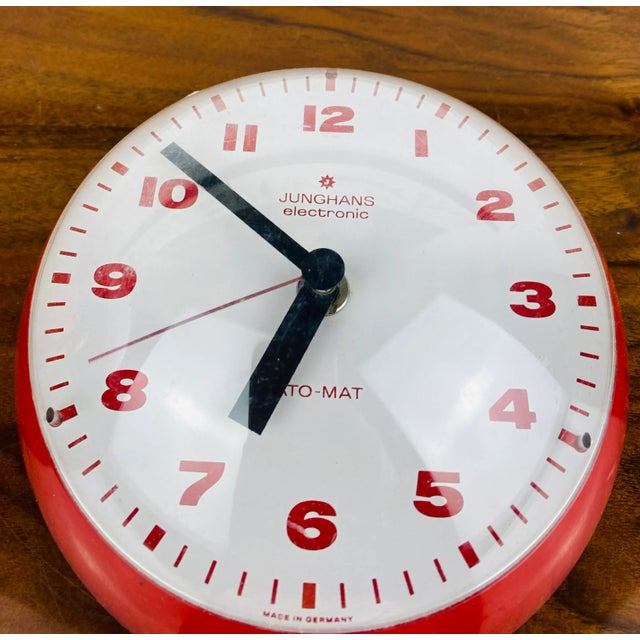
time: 6:51
